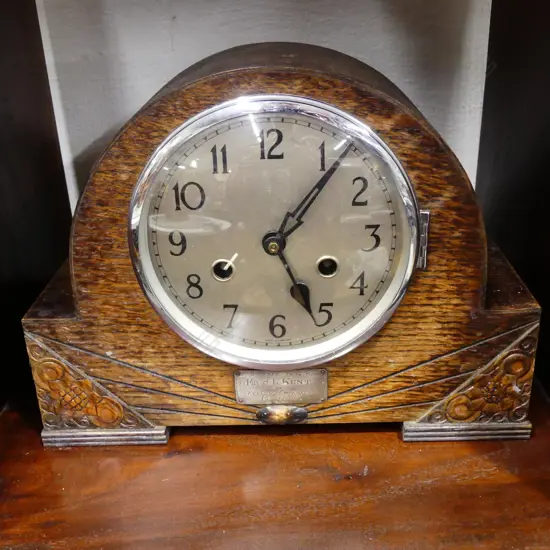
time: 5:06
